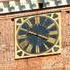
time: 3:48
